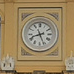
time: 8:26
